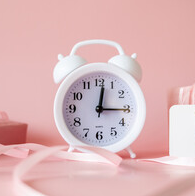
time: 12:15
